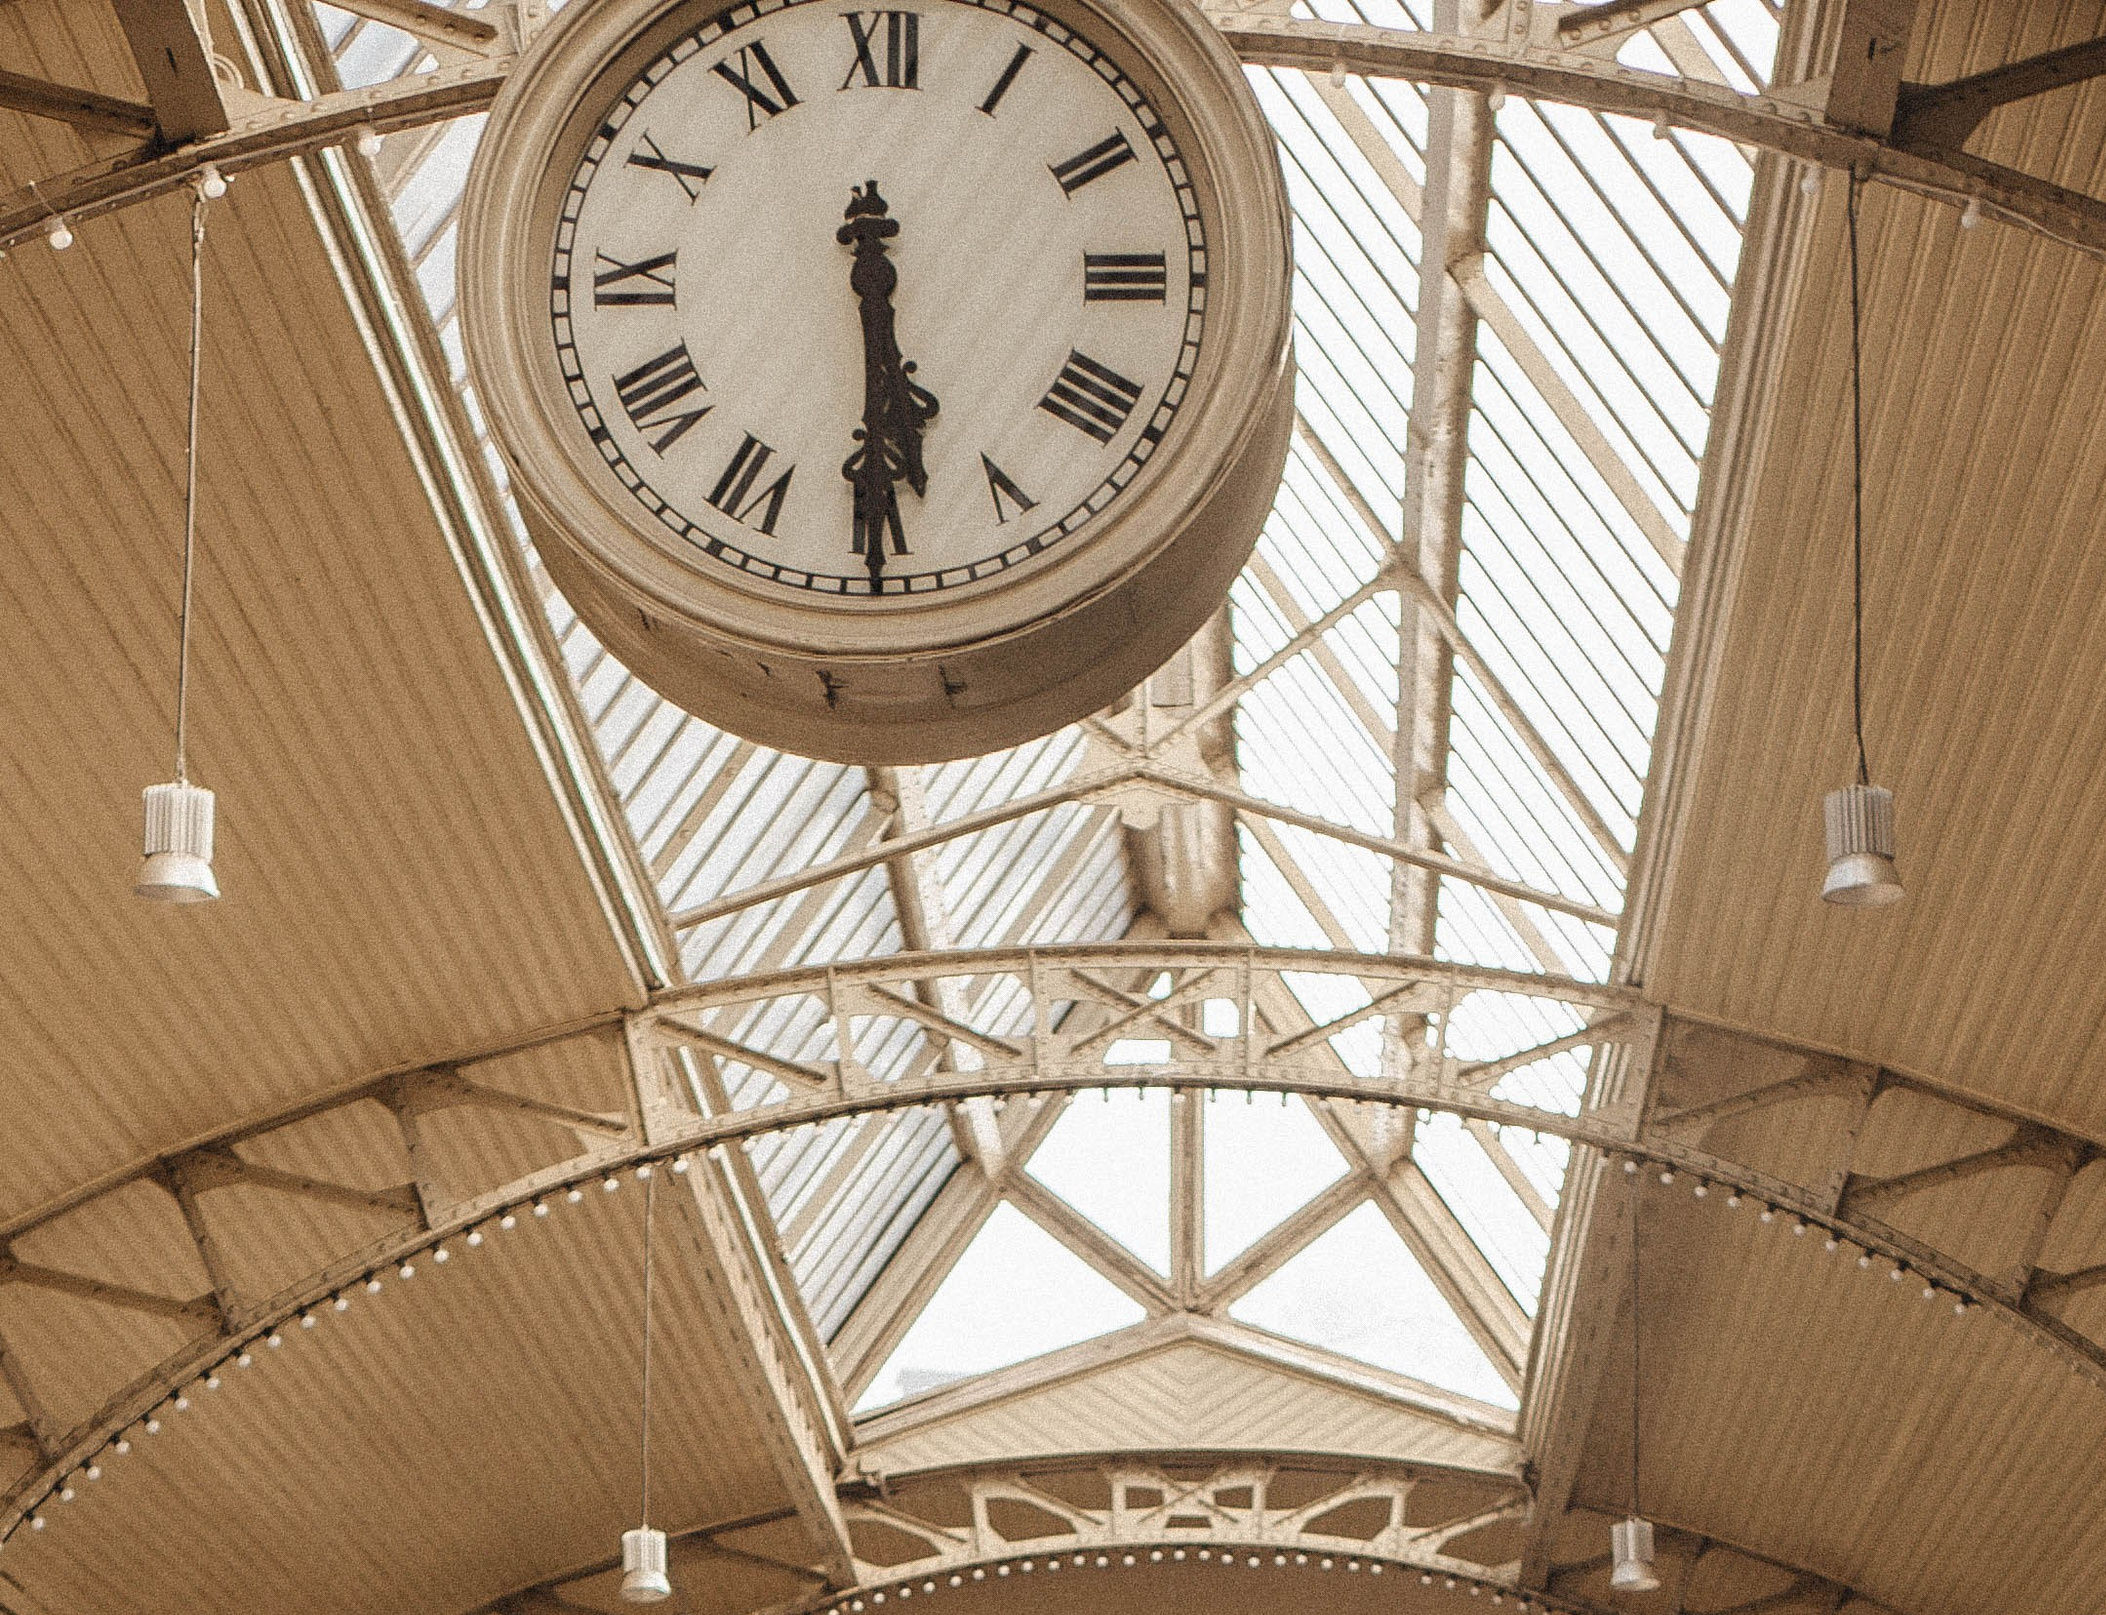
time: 5:29
